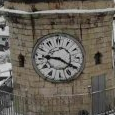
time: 9:20
